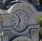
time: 11:32
